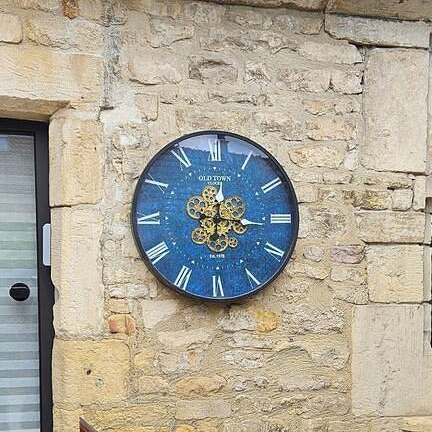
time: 12:16
